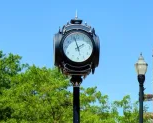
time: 1:57
